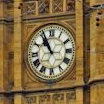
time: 10:55
